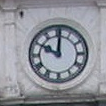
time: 10:00
